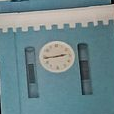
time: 2:43
